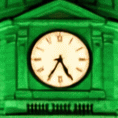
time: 4:34
